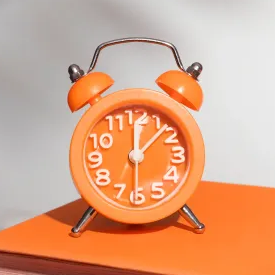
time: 12:07
